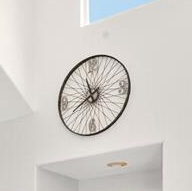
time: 11:40
